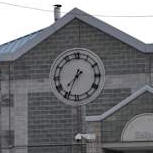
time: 7:34
